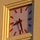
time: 8:27
